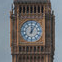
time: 12:05
